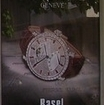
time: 11:40
